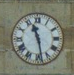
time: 11:28
